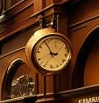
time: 2:54
